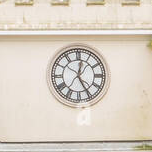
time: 12:24
